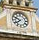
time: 7:48
